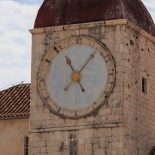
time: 11:07
